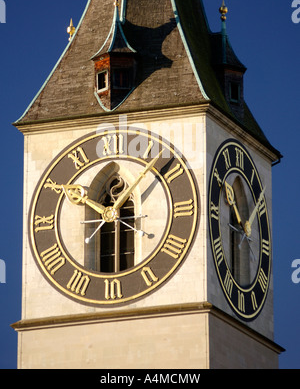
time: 10:07
